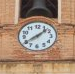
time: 1:39
